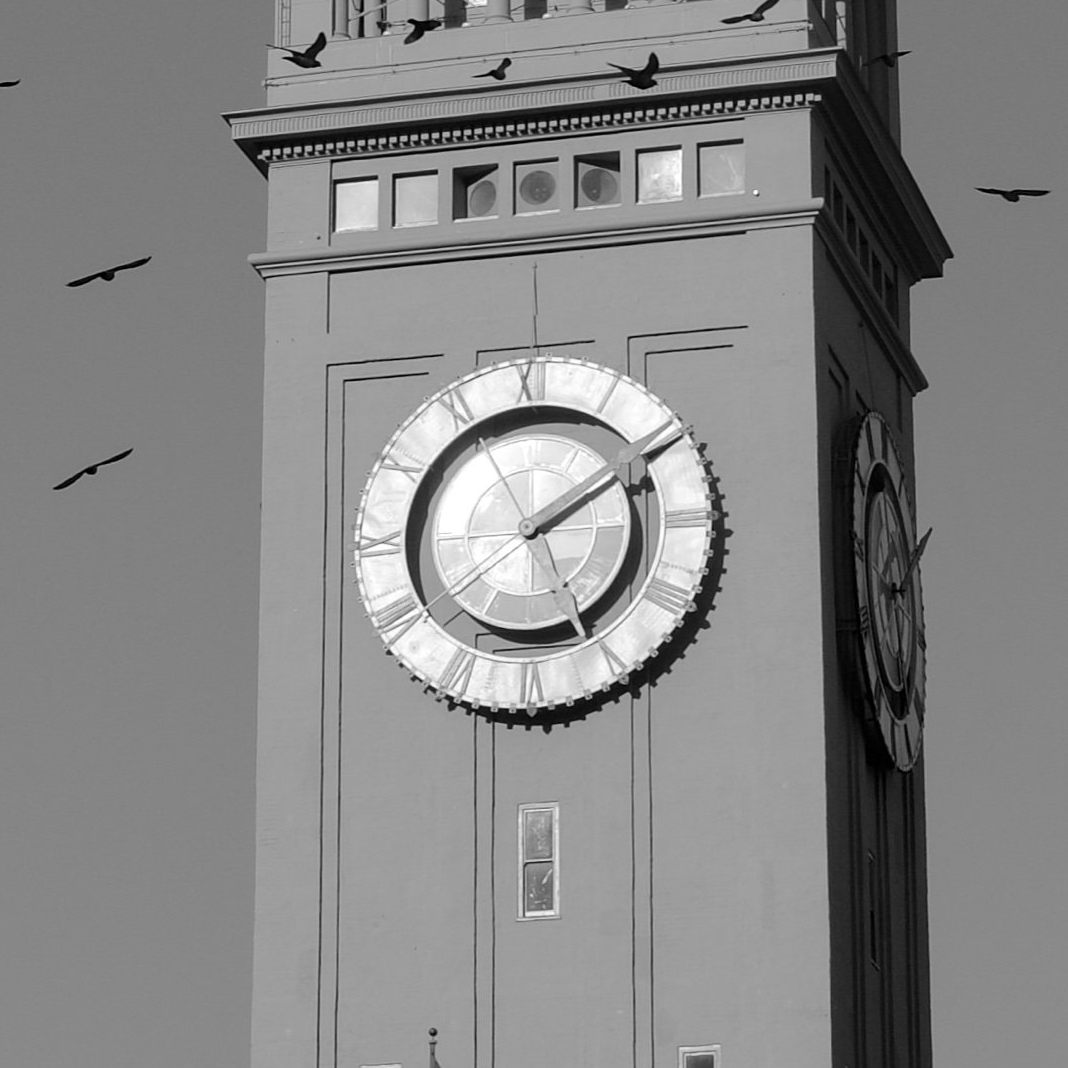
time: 2:09
